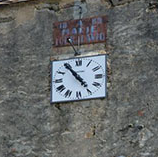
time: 4:54
